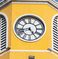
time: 4:42
